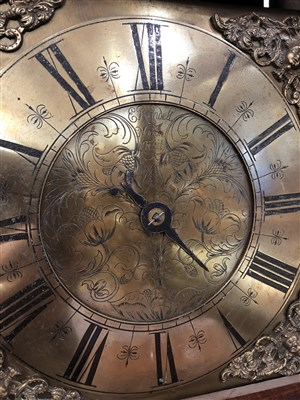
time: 10:22
